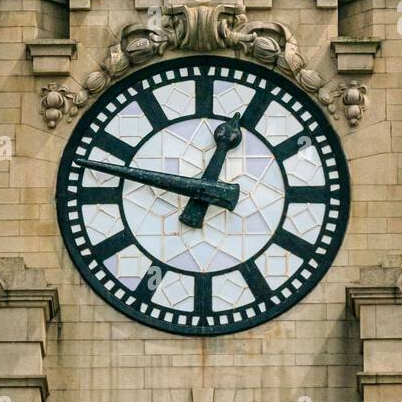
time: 12:47
